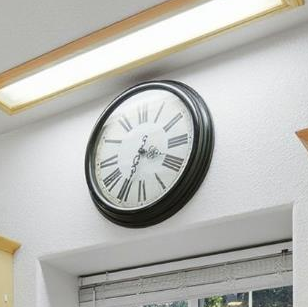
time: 3:34
